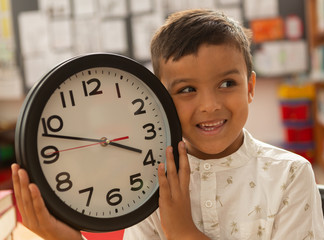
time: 3:47
